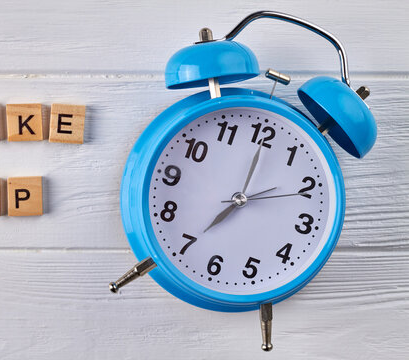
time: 7:00
